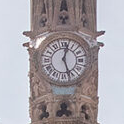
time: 12:26
